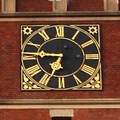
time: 6:46
